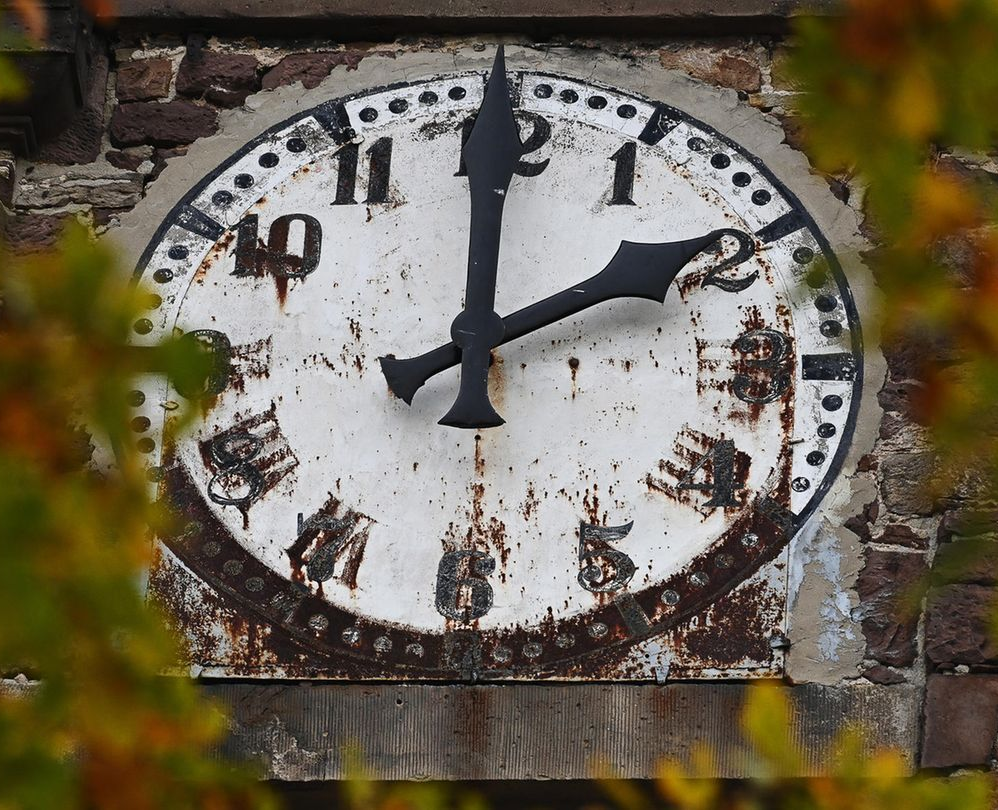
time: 2:00
